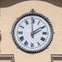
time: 1:59
